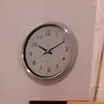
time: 10:11
